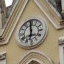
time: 5:59
